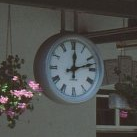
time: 12:12
